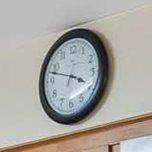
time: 3:47
